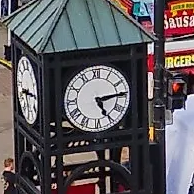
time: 5:14
